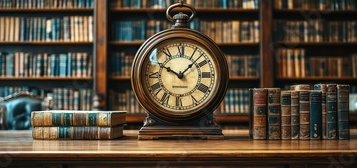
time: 10:07
